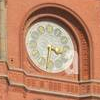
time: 3:31
